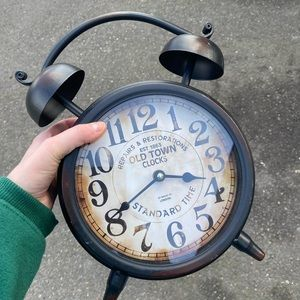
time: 3:40
